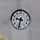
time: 9:33
